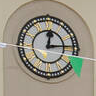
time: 12:14
